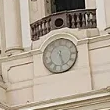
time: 5:26
